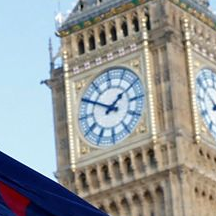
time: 1:50
